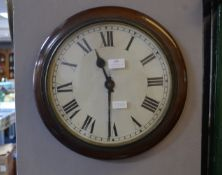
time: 11:30
